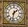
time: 1:32
